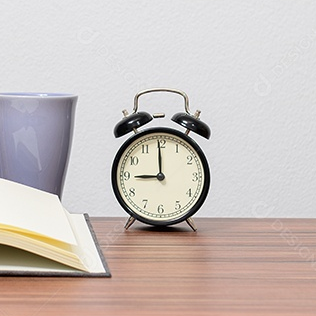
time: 8:59
